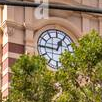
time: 12:45
